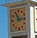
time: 11:13
